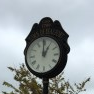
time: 12:59
